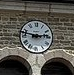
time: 2:47
